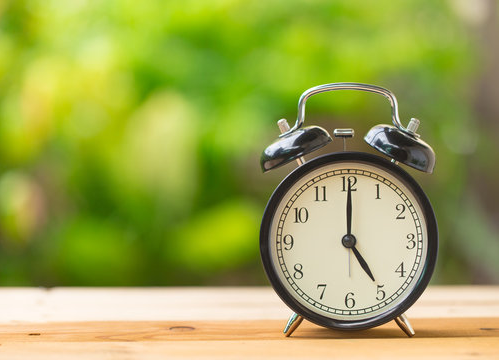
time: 5:00
